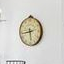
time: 5:43
